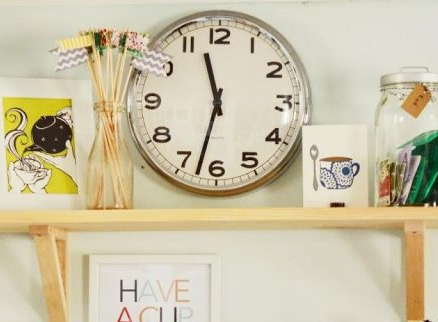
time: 11:32
